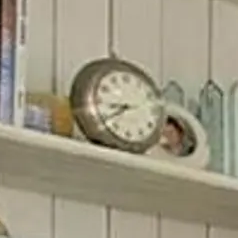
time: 8:39
